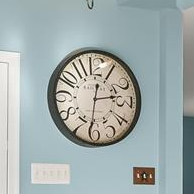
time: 2:31
